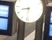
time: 8:31
